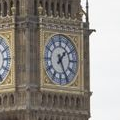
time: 1:25
